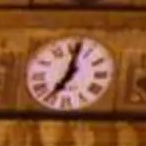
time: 7:01
